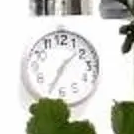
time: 1:34
